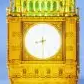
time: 8:29
